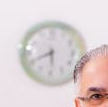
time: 5:40
